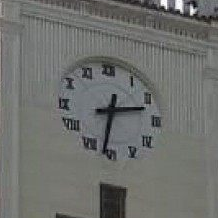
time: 2:31
